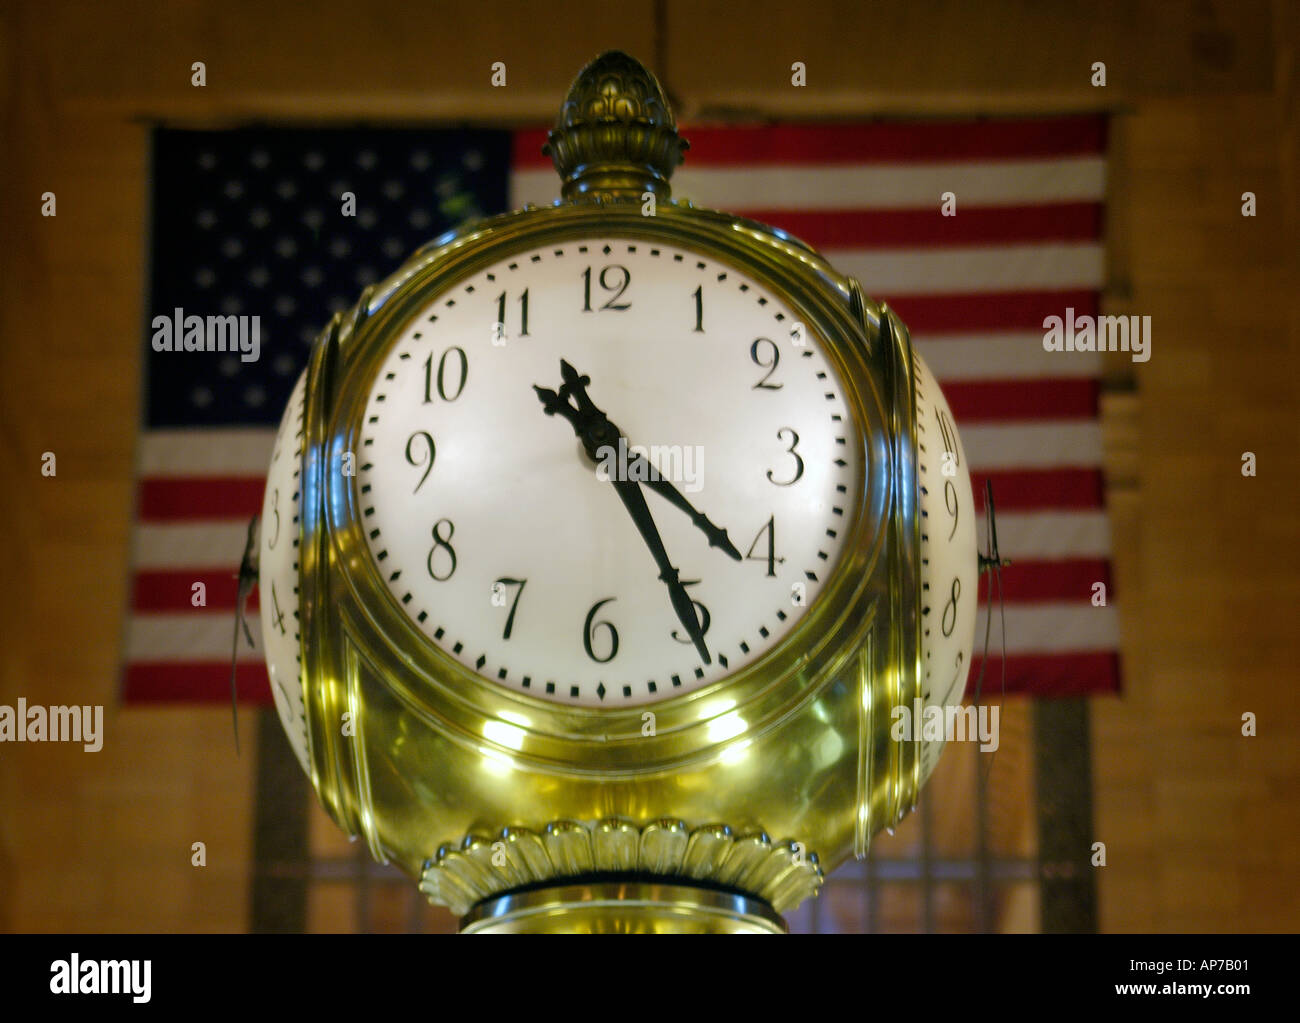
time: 4:25
